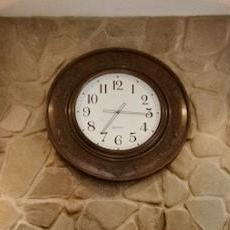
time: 7:15
